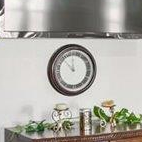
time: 11:52
